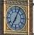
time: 7:04
